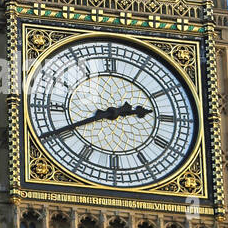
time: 2:40
